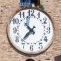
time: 10:37
